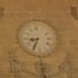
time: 8:34
